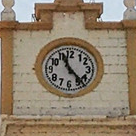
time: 11:23
